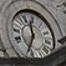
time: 11:33
